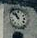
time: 10:52
